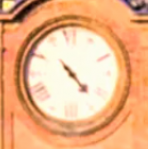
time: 4:22
